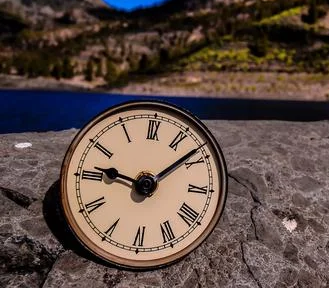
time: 9:08
